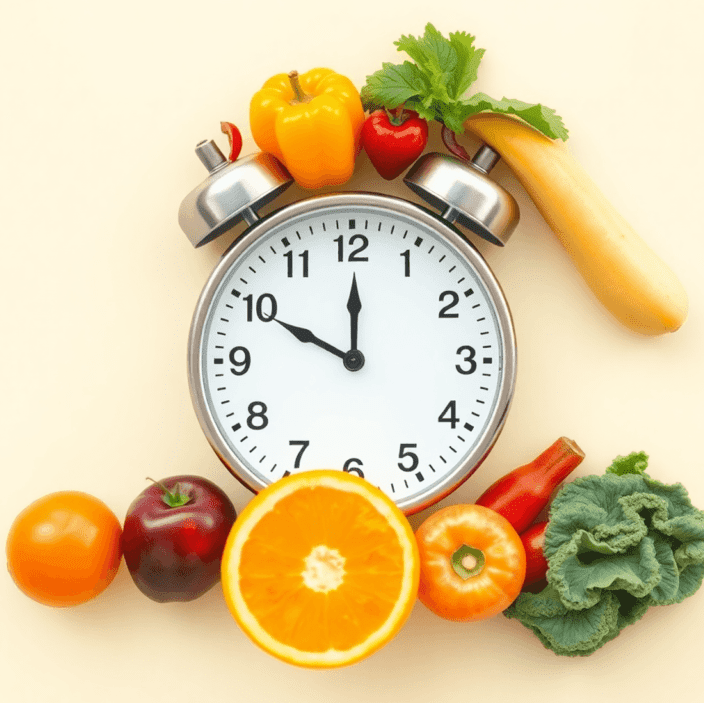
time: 10:00
